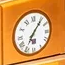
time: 7:06
